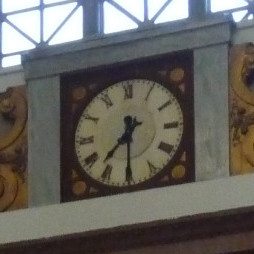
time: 7:30
